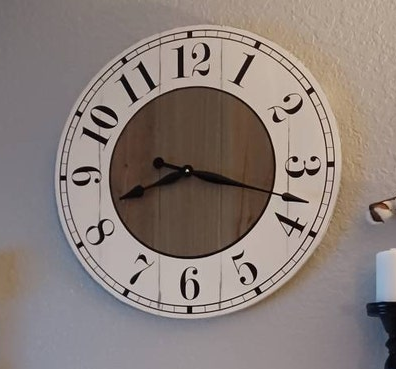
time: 8:17
